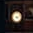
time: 4:12
